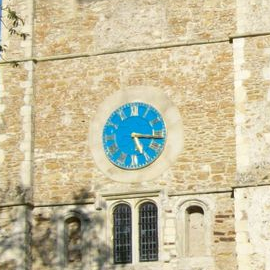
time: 5:16
